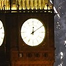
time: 12:09
